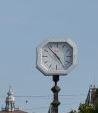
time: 4:53
